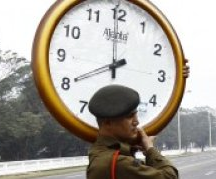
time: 7:59
